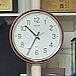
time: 10:34
